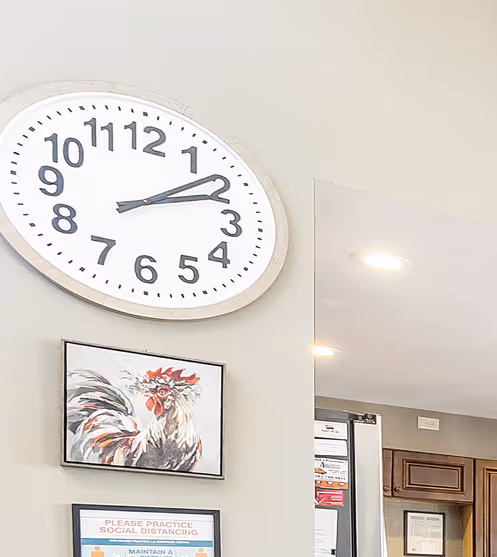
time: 2:08
